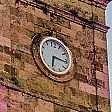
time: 6:15
